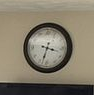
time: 3:33
